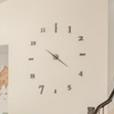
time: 4:20
